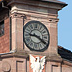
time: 9:20
